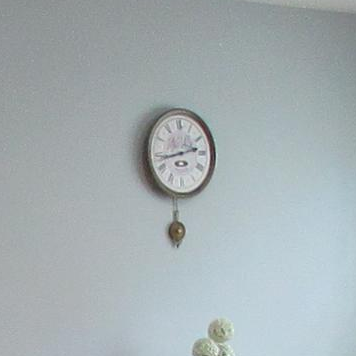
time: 2:42
